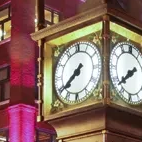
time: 7:38
